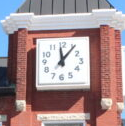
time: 12:06
